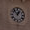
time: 12:53
